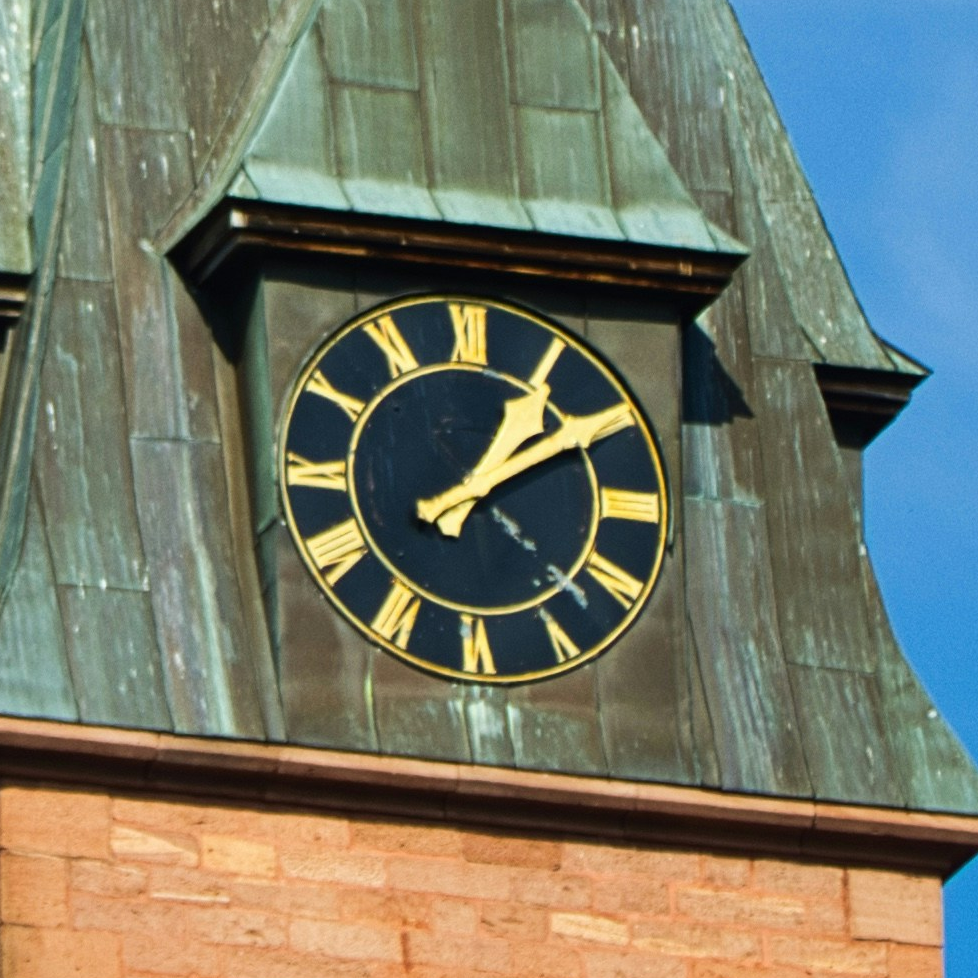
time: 1:09
